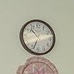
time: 10:33
